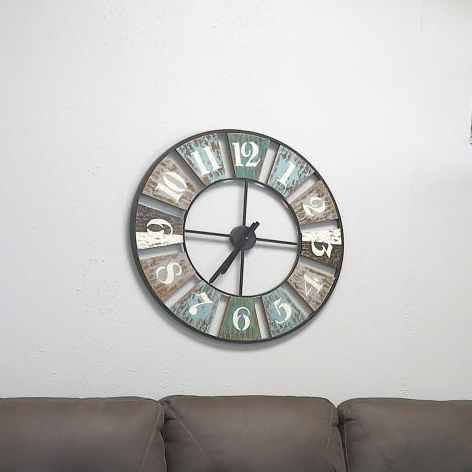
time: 7:15
